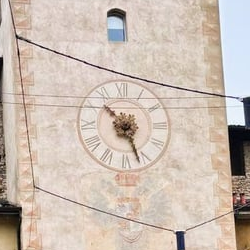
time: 10:26
